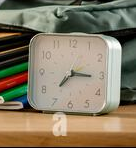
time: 7:15
